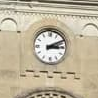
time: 3:10
